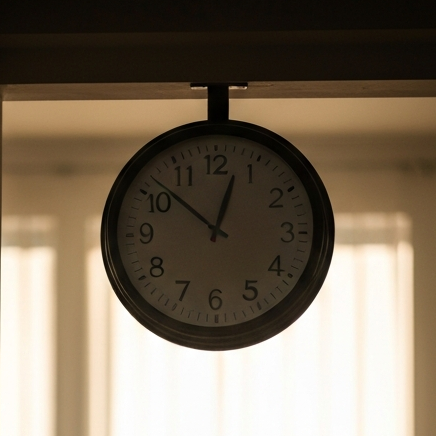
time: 12:51
